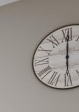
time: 6:00
